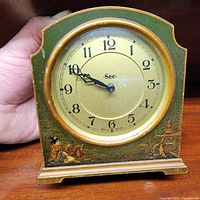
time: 9:49
